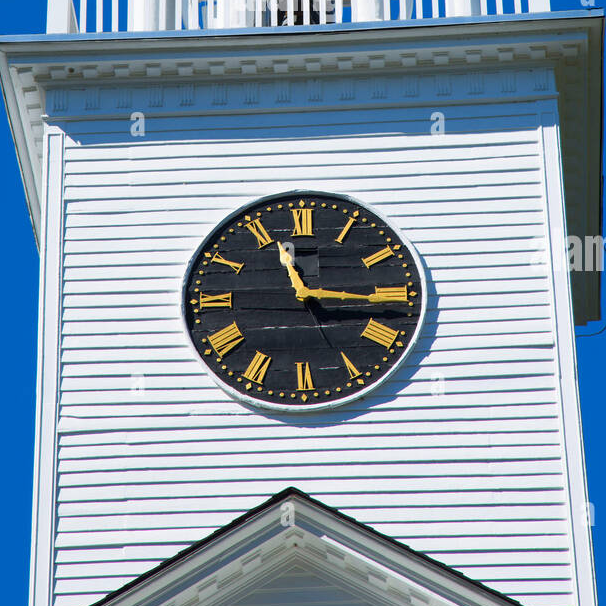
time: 11:15
